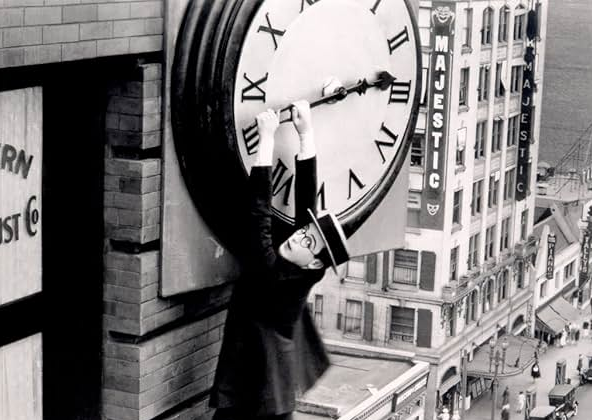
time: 2:13
